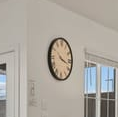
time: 10:17
